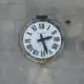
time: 2:26
